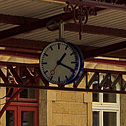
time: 1:19
